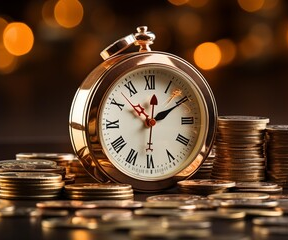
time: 12:10
